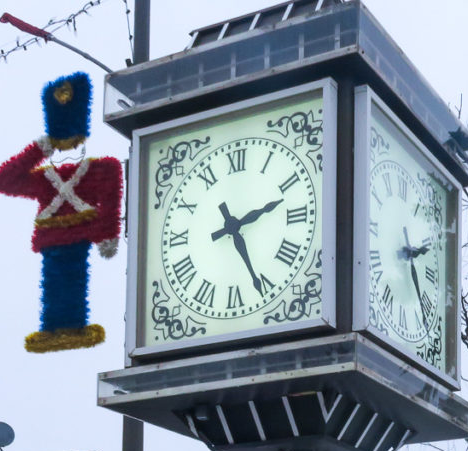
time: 2:25
